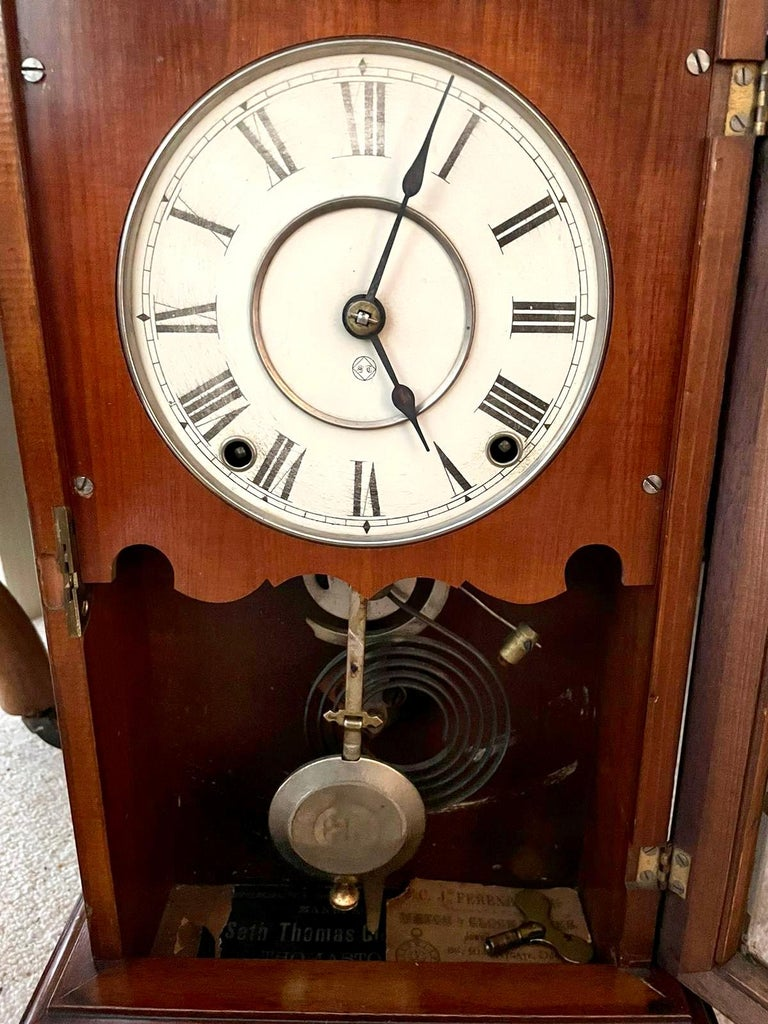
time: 5:03
